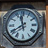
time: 11:39
